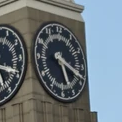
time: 5:18
